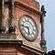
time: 5:44
